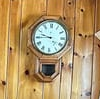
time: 9:44
